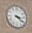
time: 3:21
